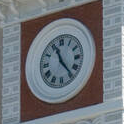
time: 11:23
